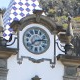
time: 2:38
